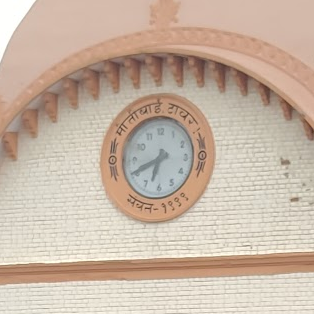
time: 6:41
